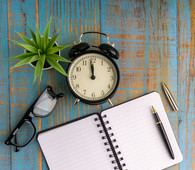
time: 11:58
